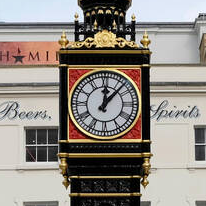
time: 12:07
